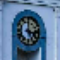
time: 4:00
